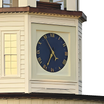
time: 6:54
